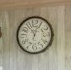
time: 11:03
